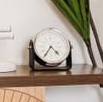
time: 4:35
